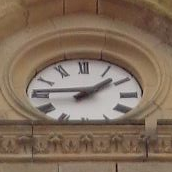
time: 1:45
